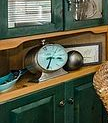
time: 3:32
